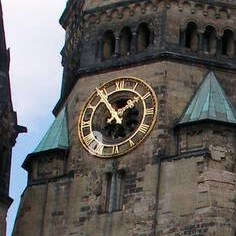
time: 1:54
